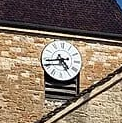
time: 4:43
